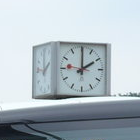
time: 2:00
